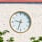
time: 9:33
